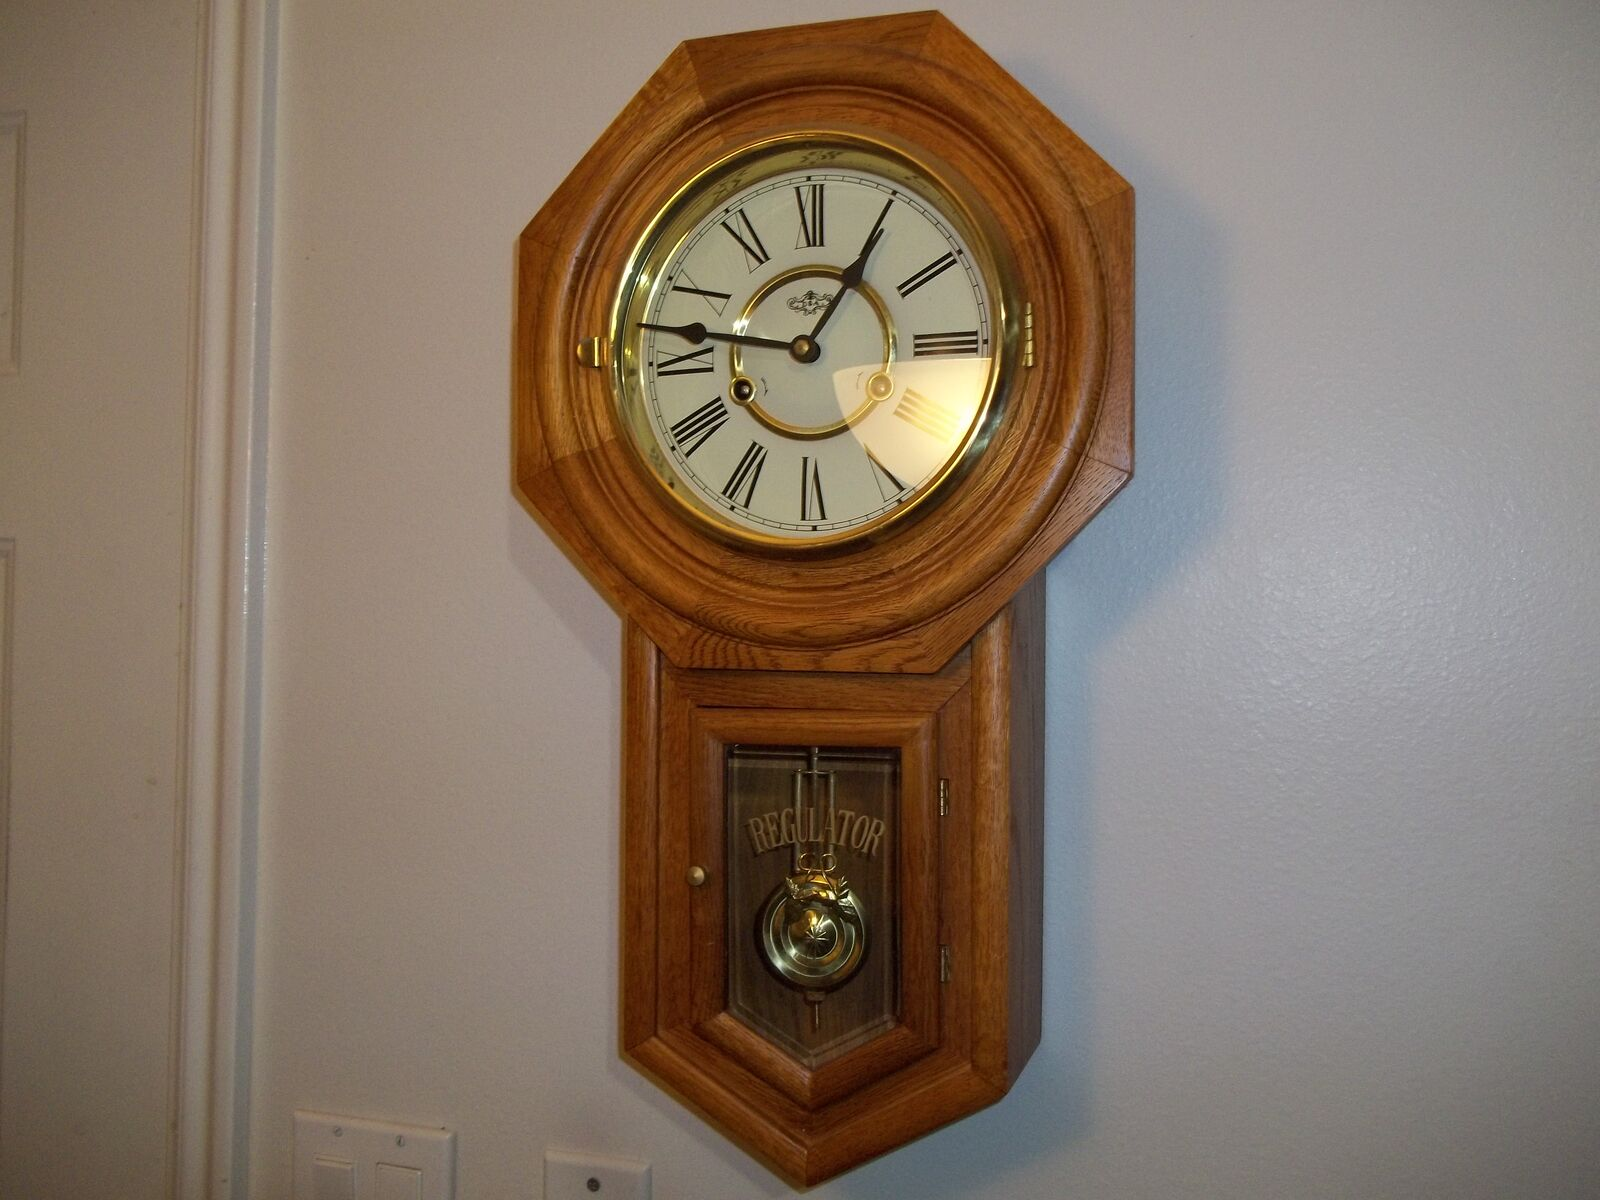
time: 12:46
